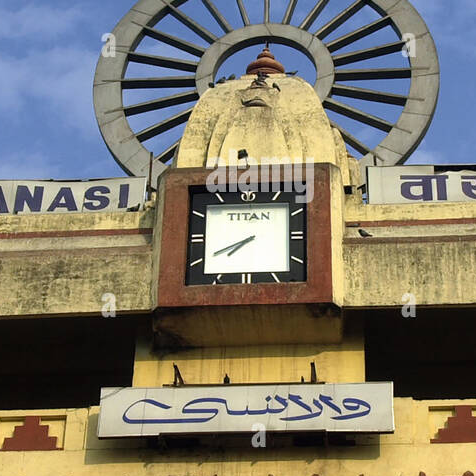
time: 7:40
